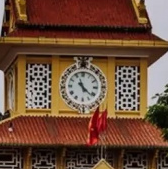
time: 11:21
